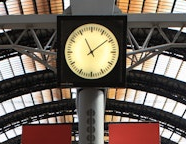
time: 11:08
